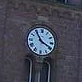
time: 3:54
